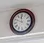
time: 11:49
